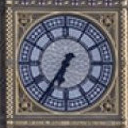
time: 6:35
